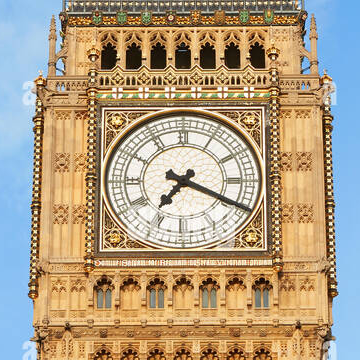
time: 7:19
